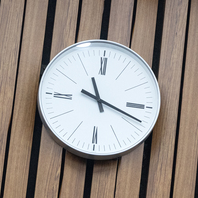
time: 11:18
